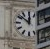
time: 11:51
